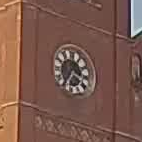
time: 3:35
